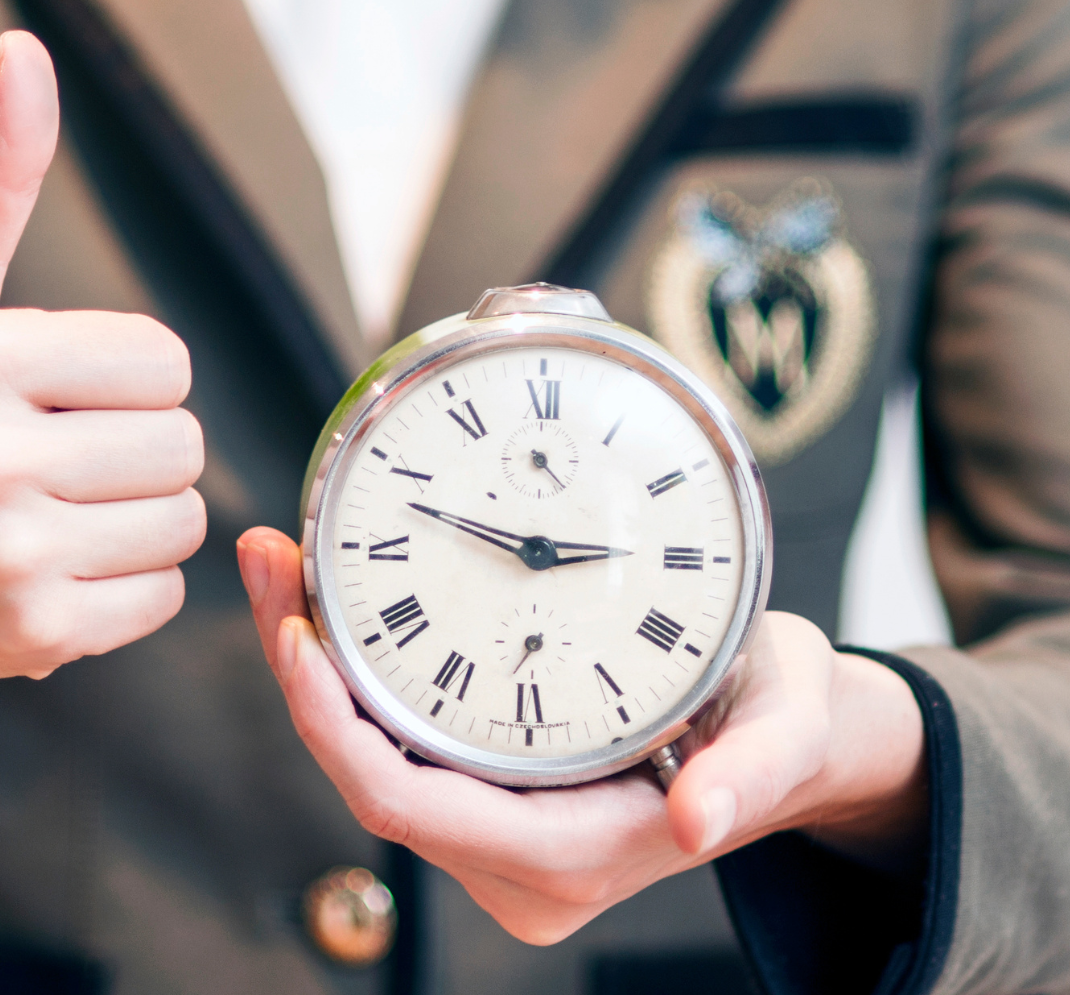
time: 2:48
